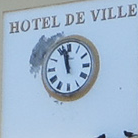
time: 11:57
